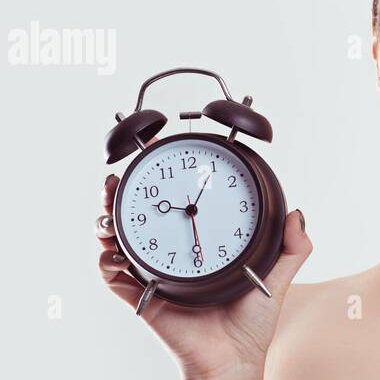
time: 9:29
